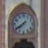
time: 7:39
